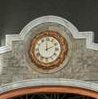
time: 1:59
